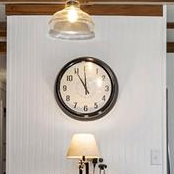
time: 10:59
